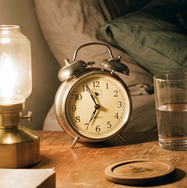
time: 6:56
